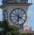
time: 3:32
